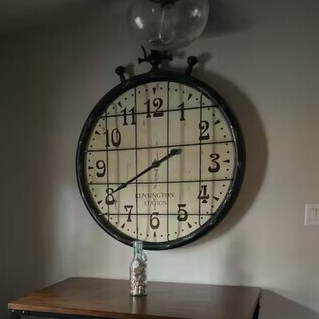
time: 8:01
